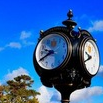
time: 9:40
